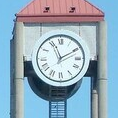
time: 1:56
